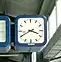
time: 3:40
